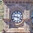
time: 9:20
